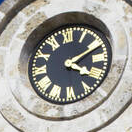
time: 4:10
